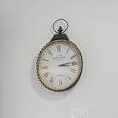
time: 3:12
